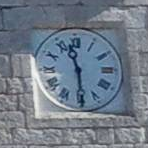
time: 11:29
